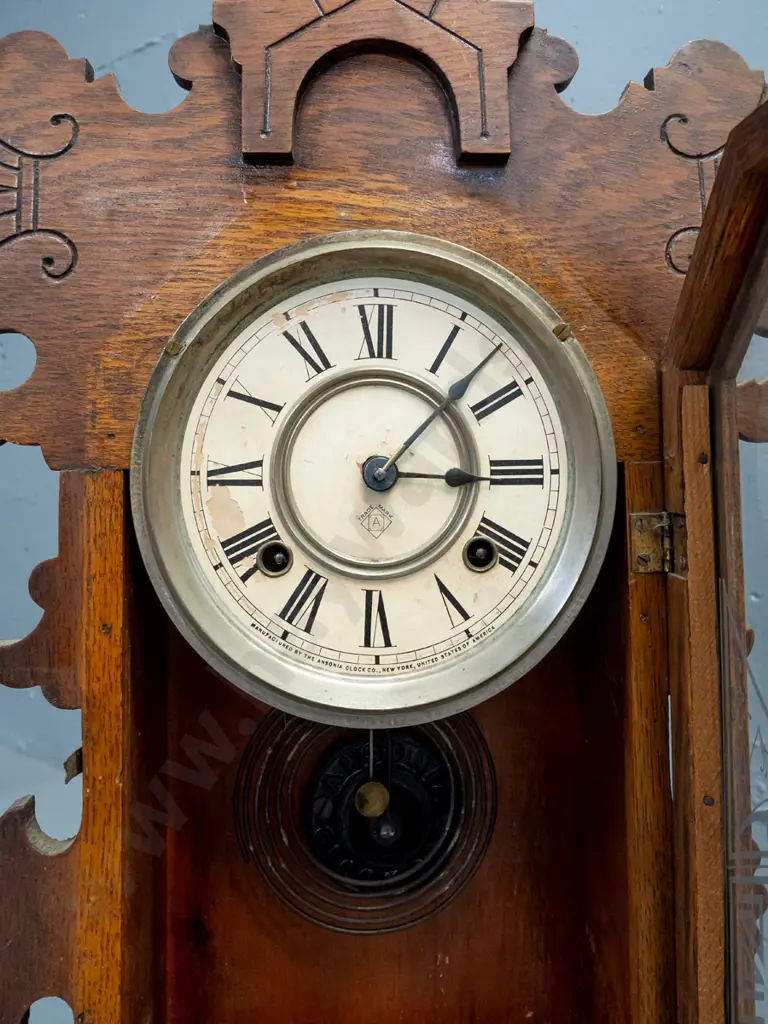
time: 3:07
